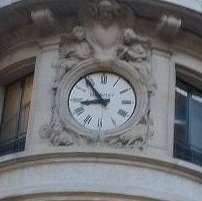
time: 8:53
